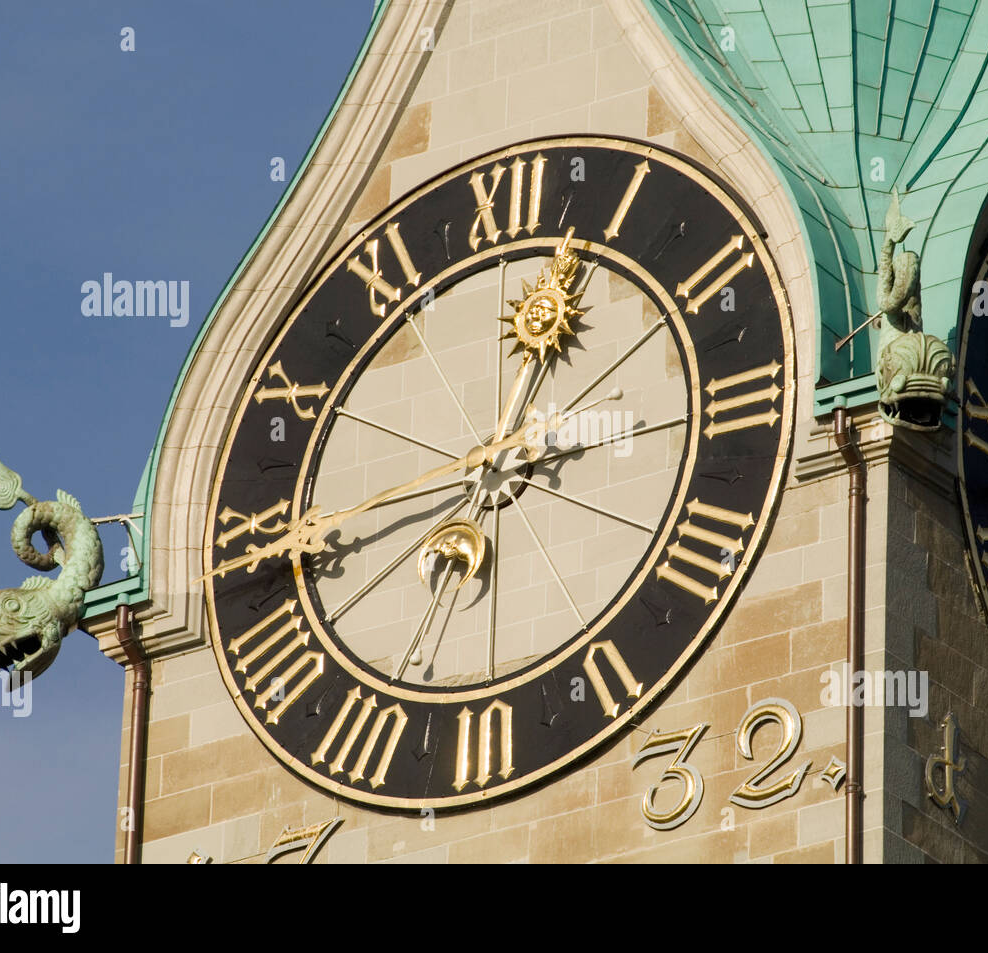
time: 12:43
